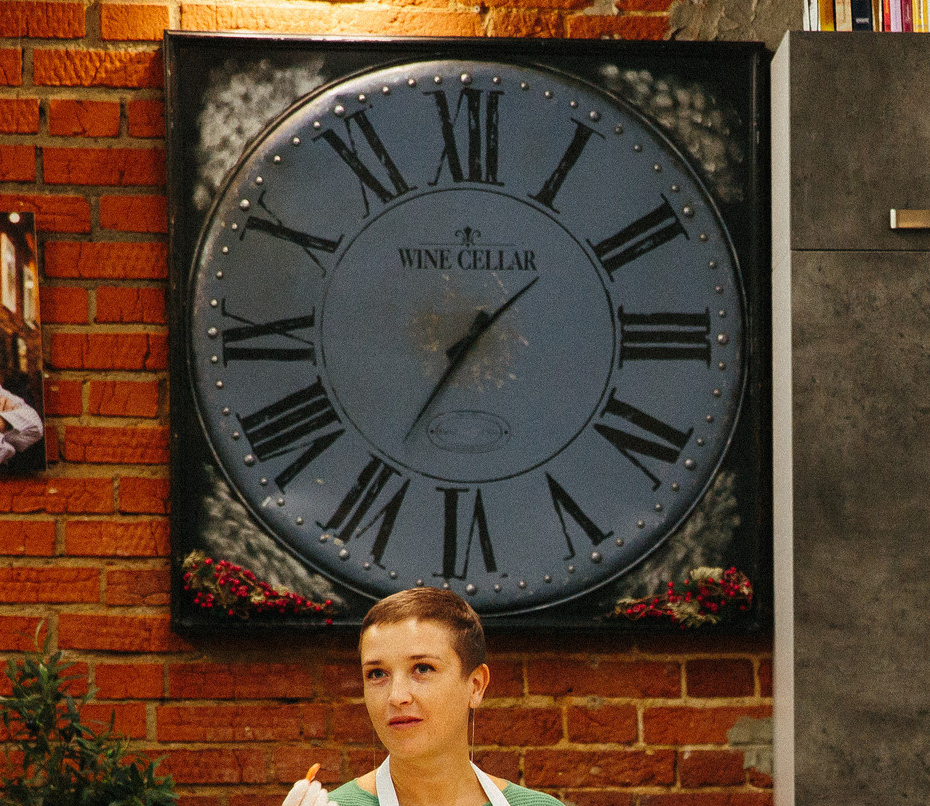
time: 1:35
